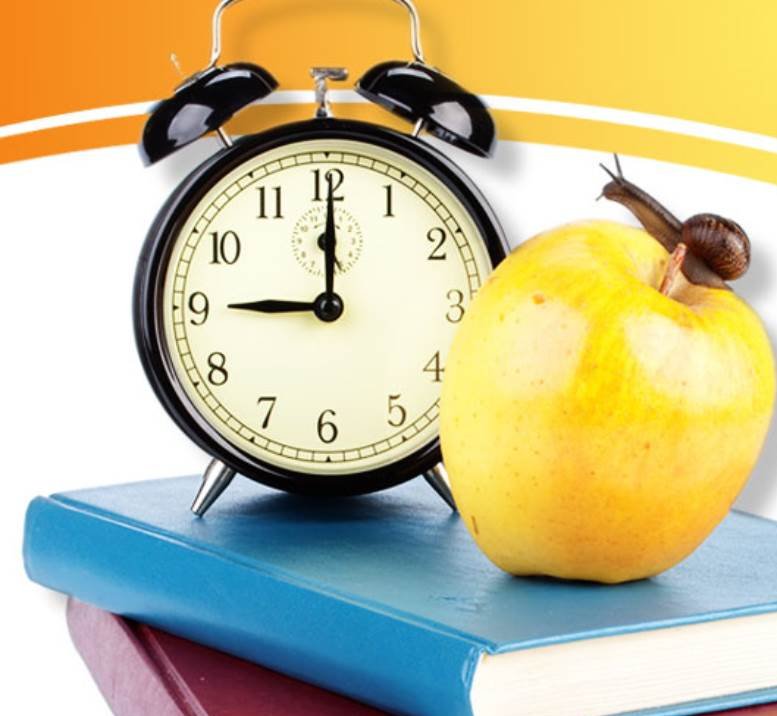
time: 9:00
